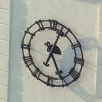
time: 5:03
